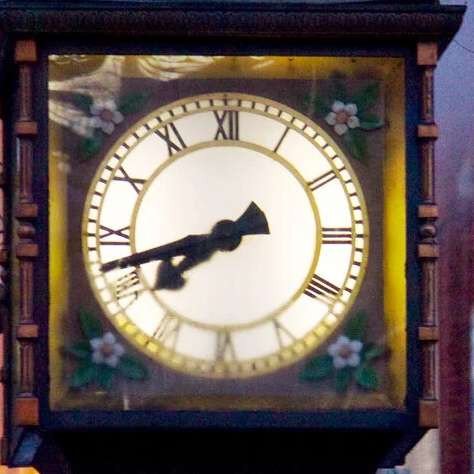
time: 7:42
